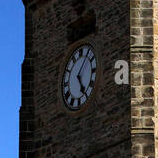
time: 5:06
